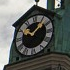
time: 10:07
